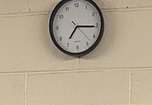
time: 7:15
